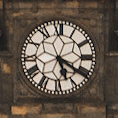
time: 5:20
